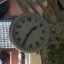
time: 1:35
